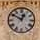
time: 12:50
